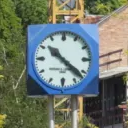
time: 10:21
